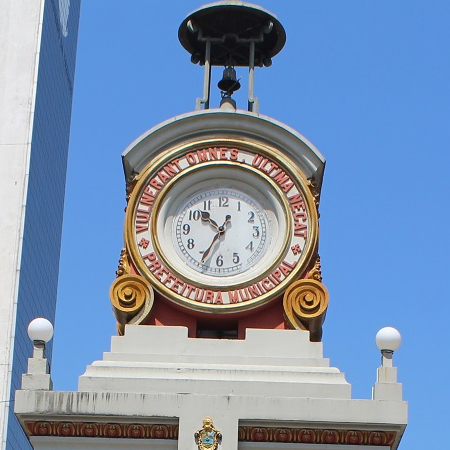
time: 10:34
